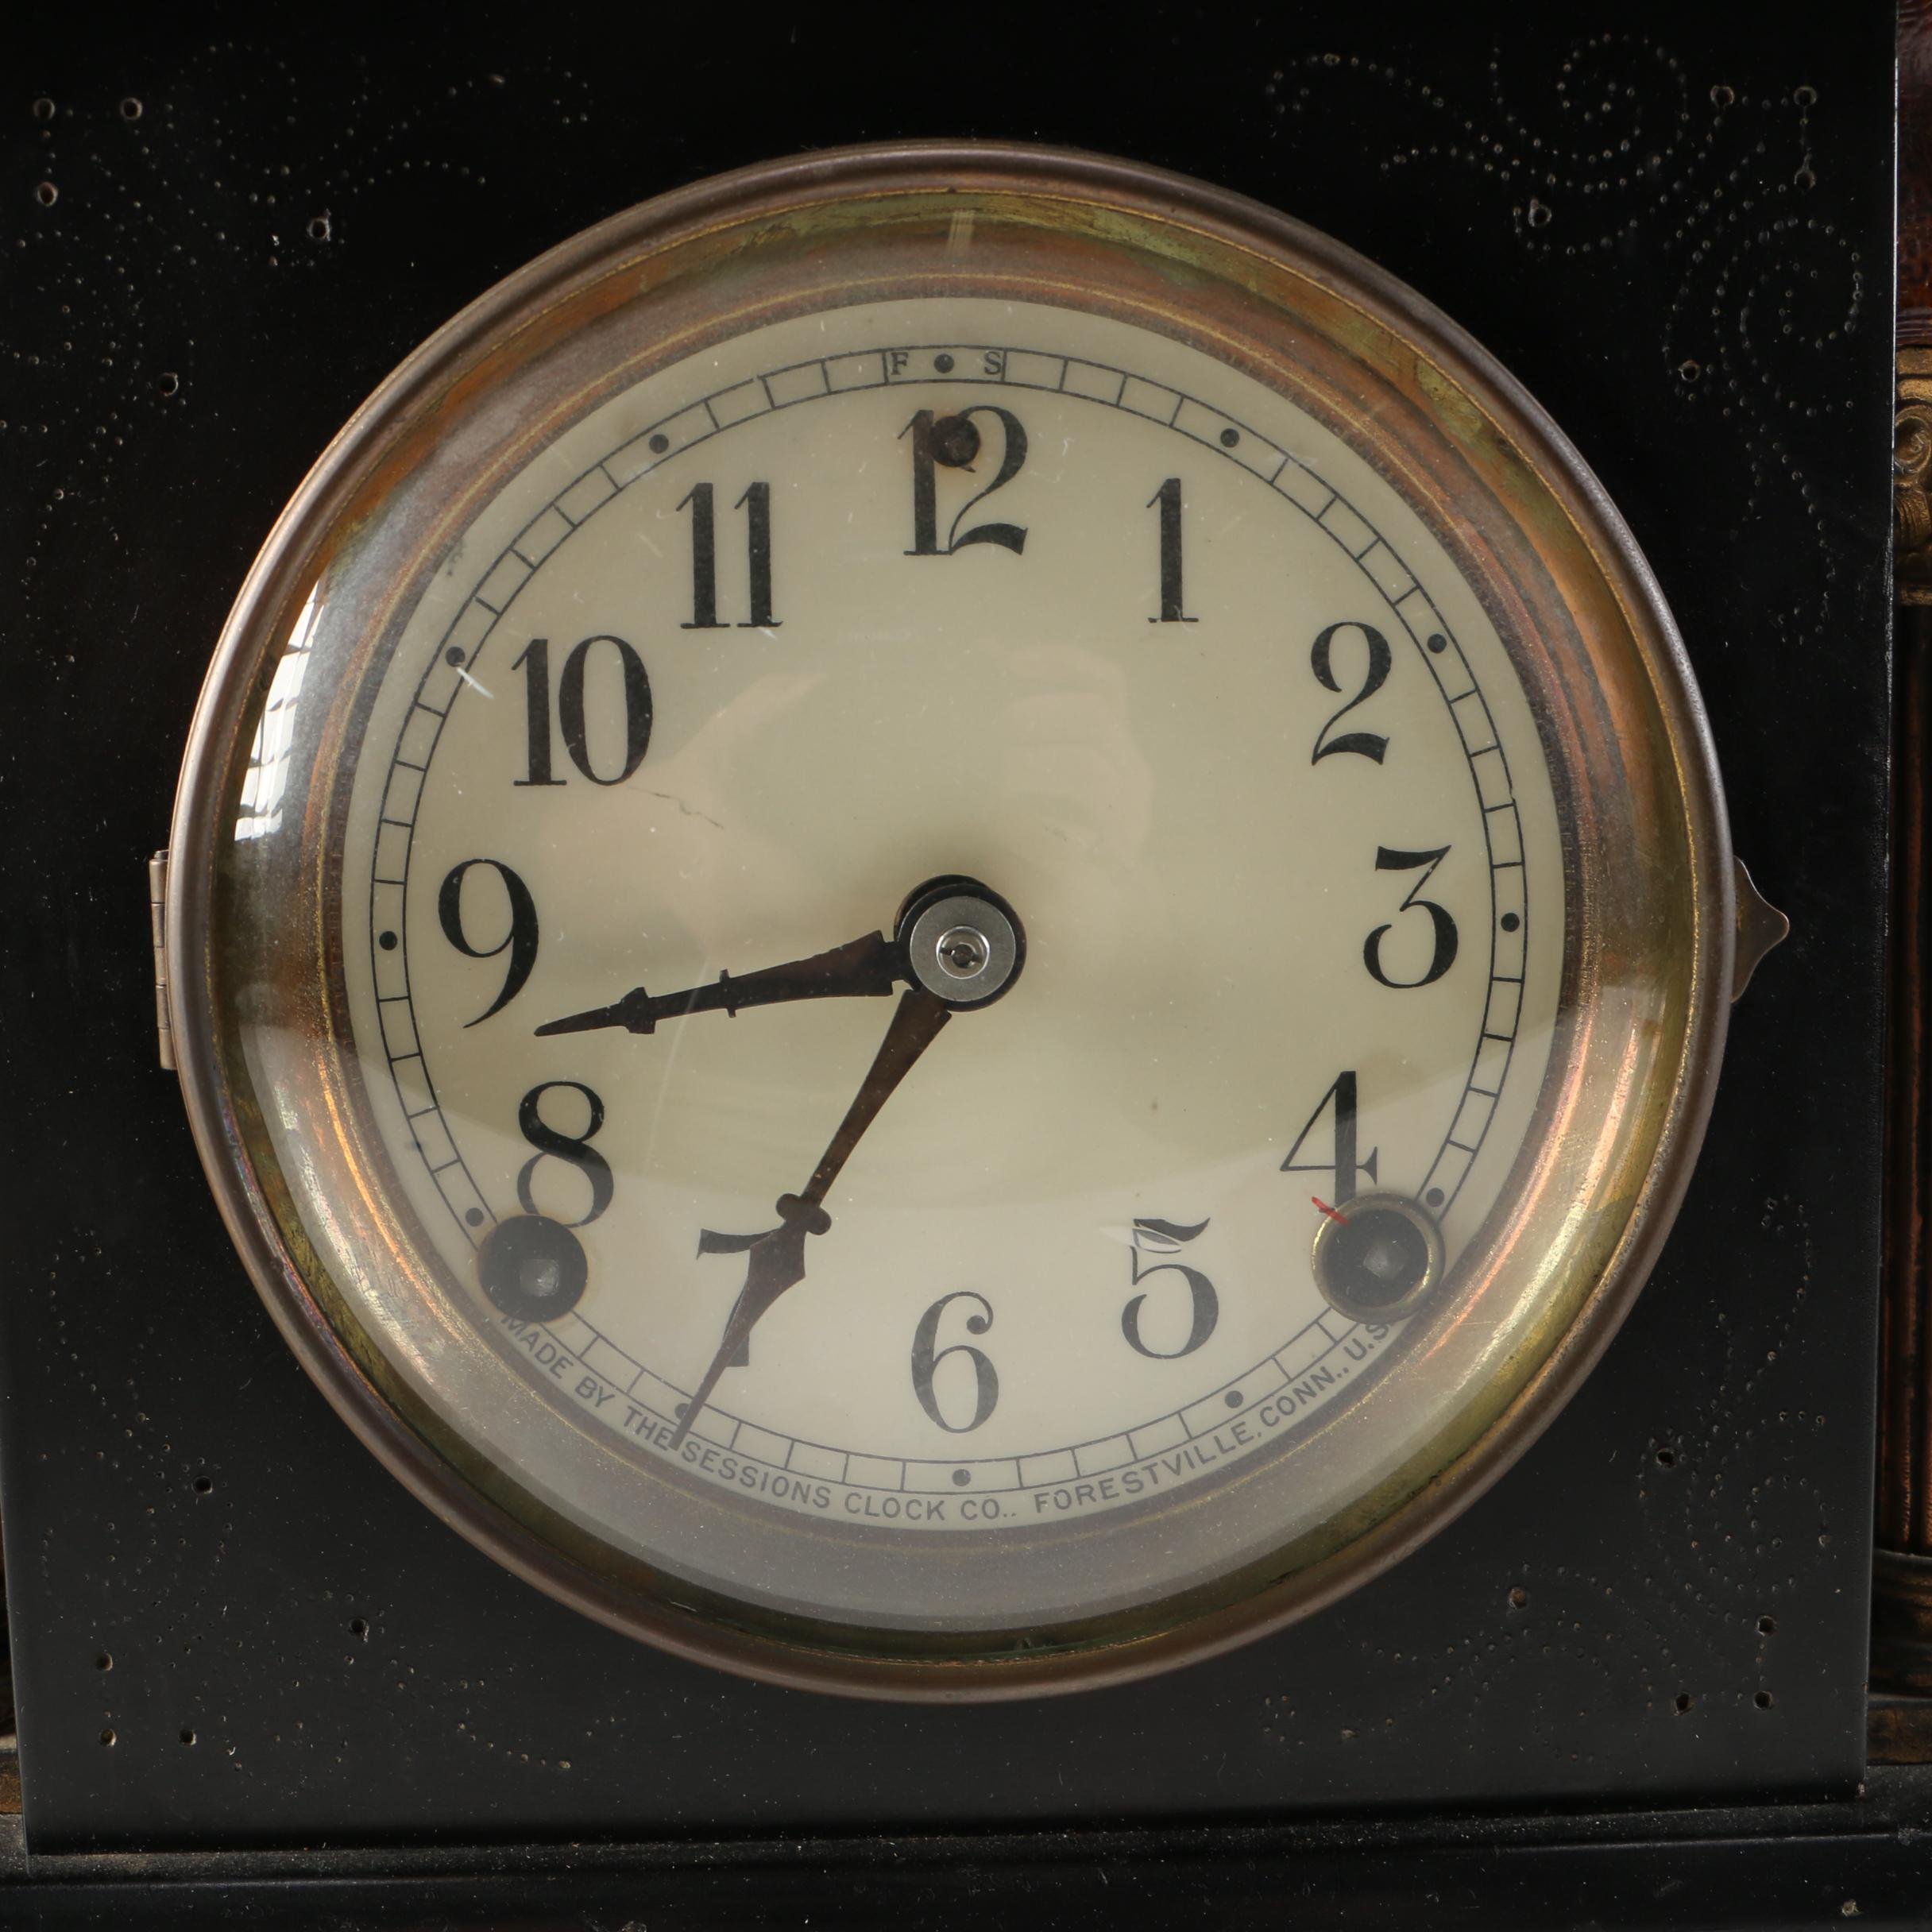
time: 8:35
